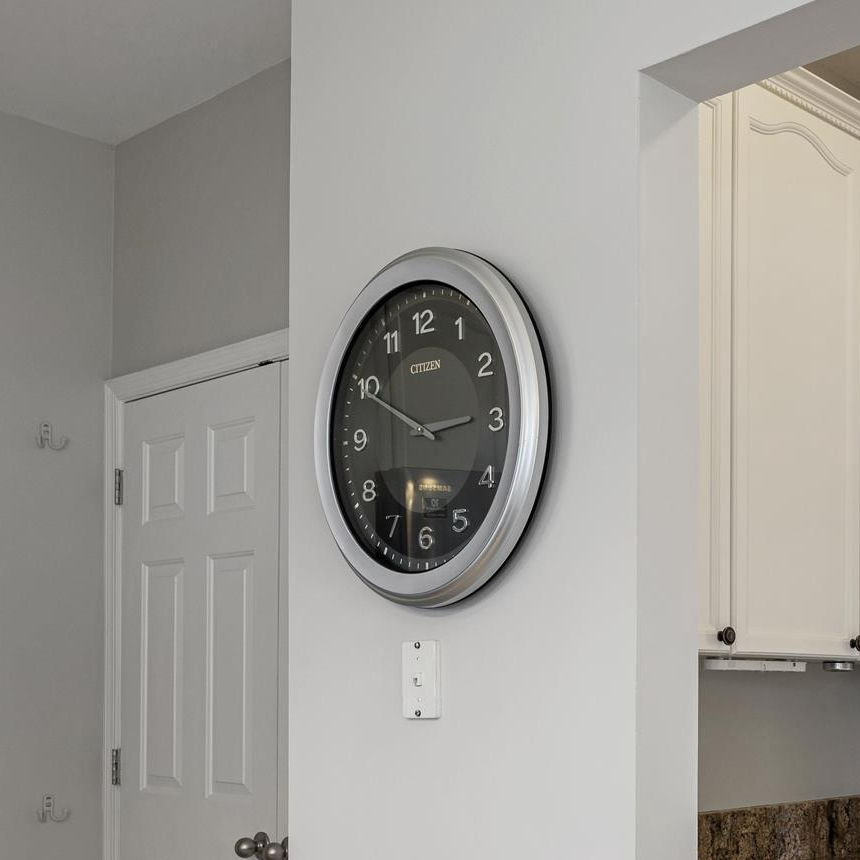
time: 2:49
